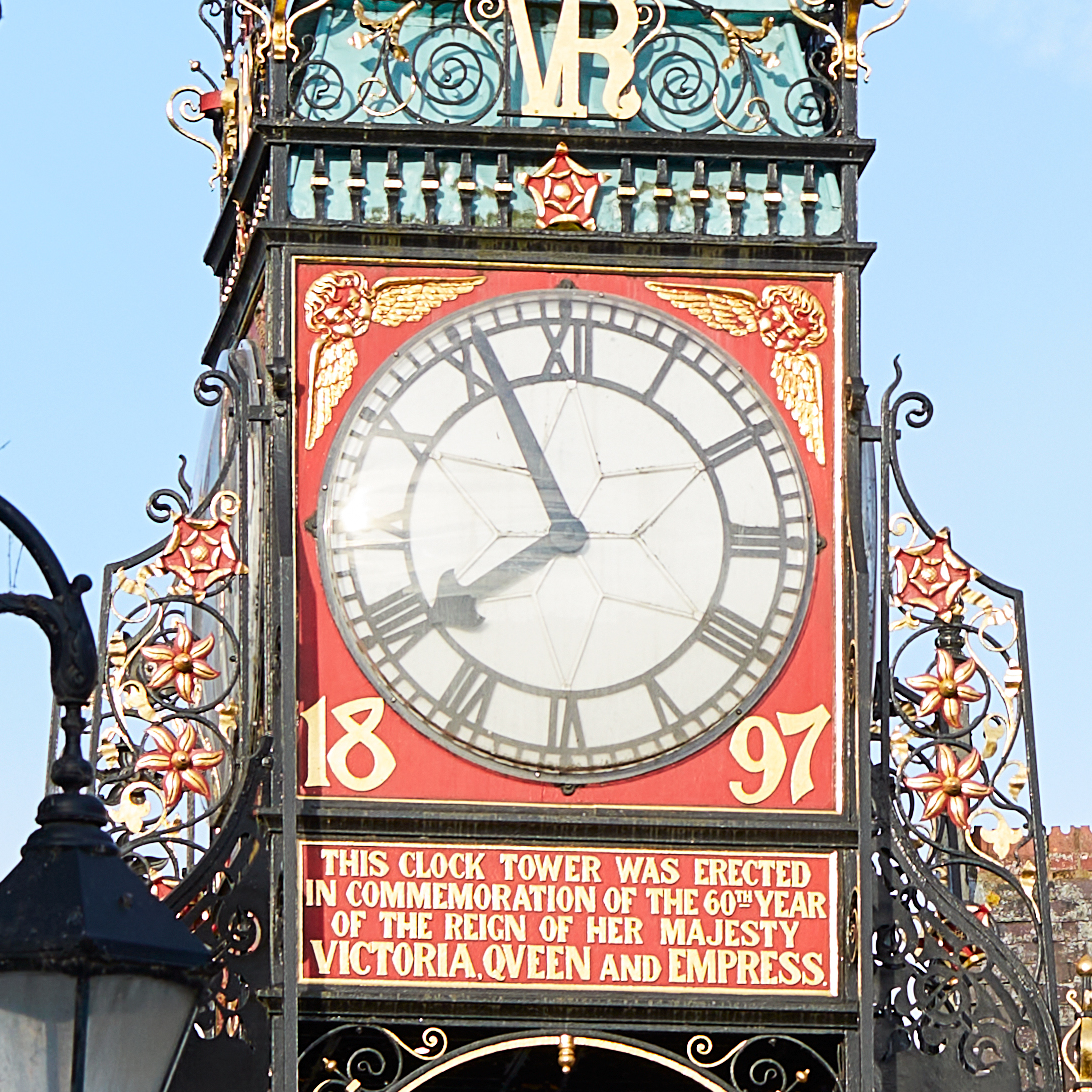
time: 7:55
